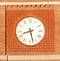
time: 8:27
